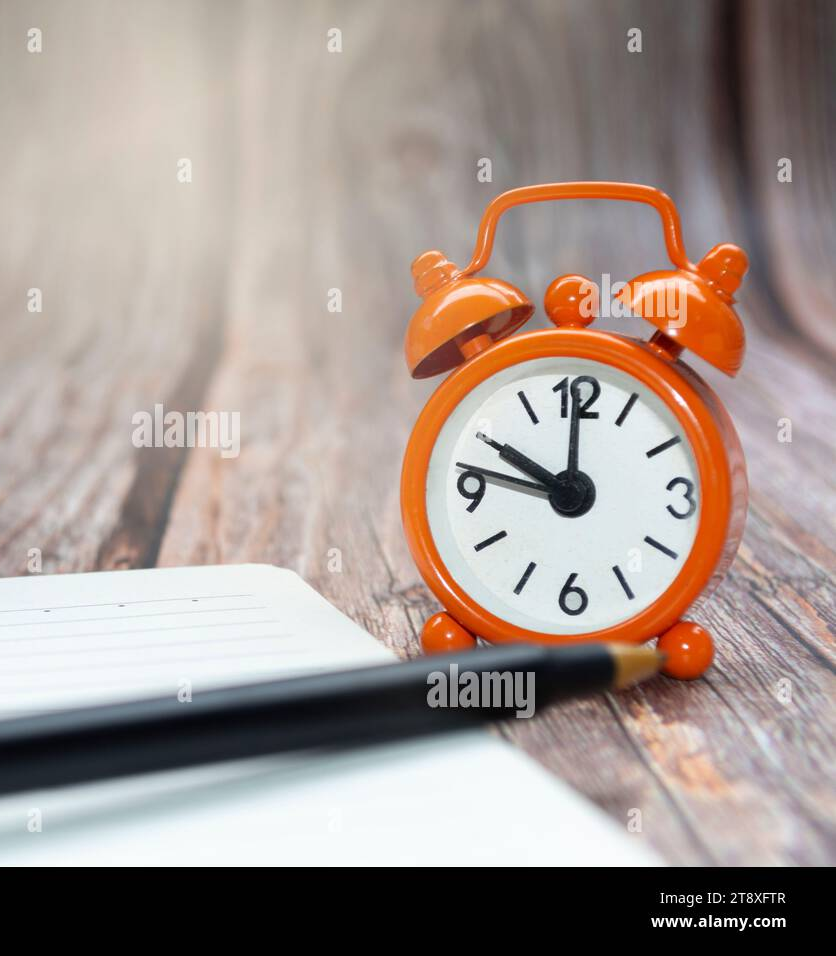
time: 10:00
